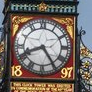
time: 8:24
